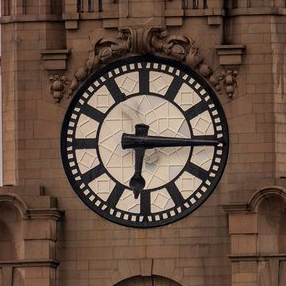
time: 6:15
